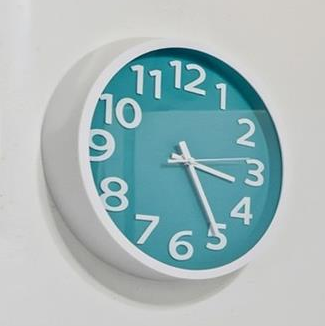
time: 3:25
